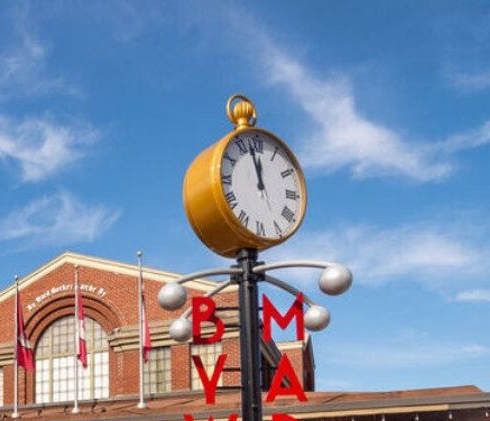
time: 11:57
